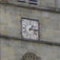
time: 1:16
